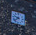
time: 9:38
